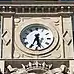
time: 5:34
